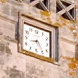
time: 8:24
